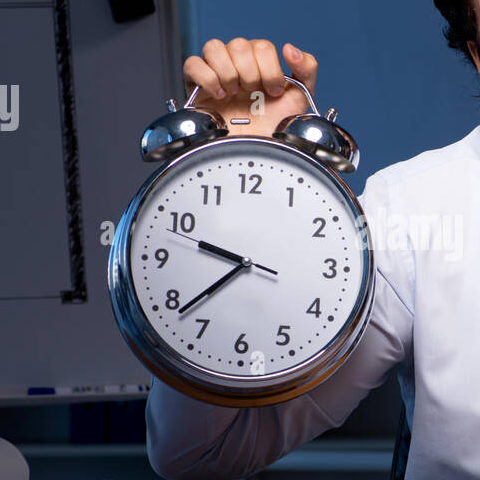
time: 9:38
